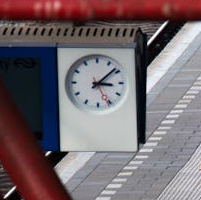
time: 3:08
